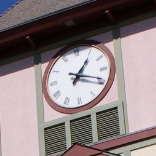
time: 1:18
